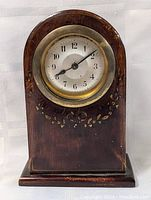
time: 8:09
